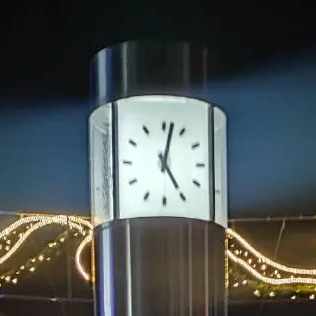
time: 5:02
